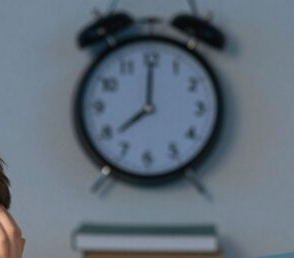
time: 8:00
